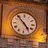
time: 4:53
